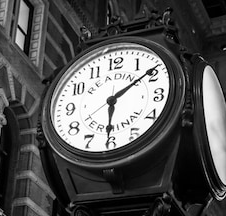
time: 6:08
